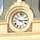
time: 2:48
